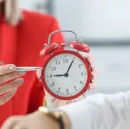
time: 9:04
